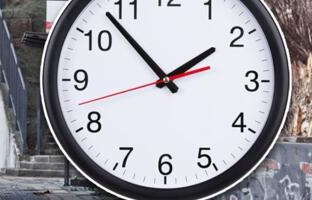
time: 1:52
